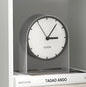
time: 3:06
